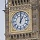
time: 1:00
